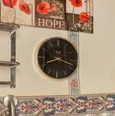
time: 8:17
